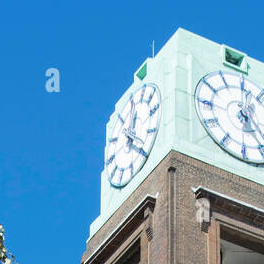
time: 12:20
